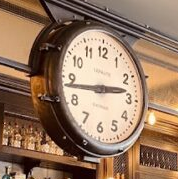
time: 2:43
